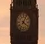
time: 4:04
